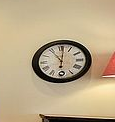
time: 11:01
